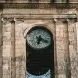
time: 6:18
